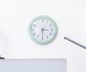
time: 3:29
